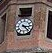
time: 3:22
